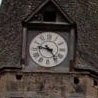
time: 9:23
